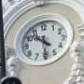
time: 10:30
